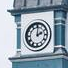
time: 2:00
